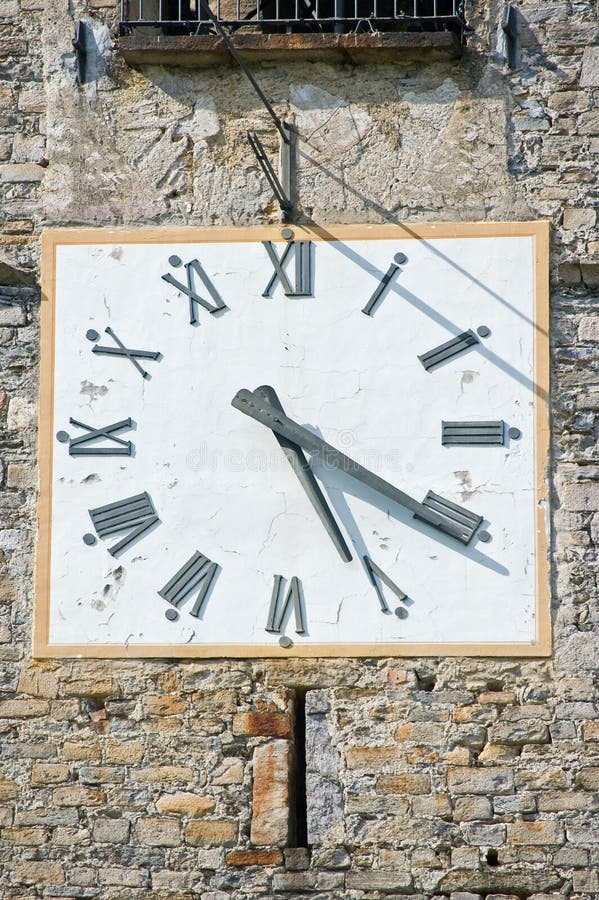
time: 5:20
